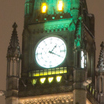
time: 1:19
